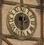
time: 11:30
